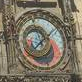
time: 7:08
